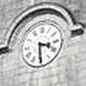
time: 3:29
